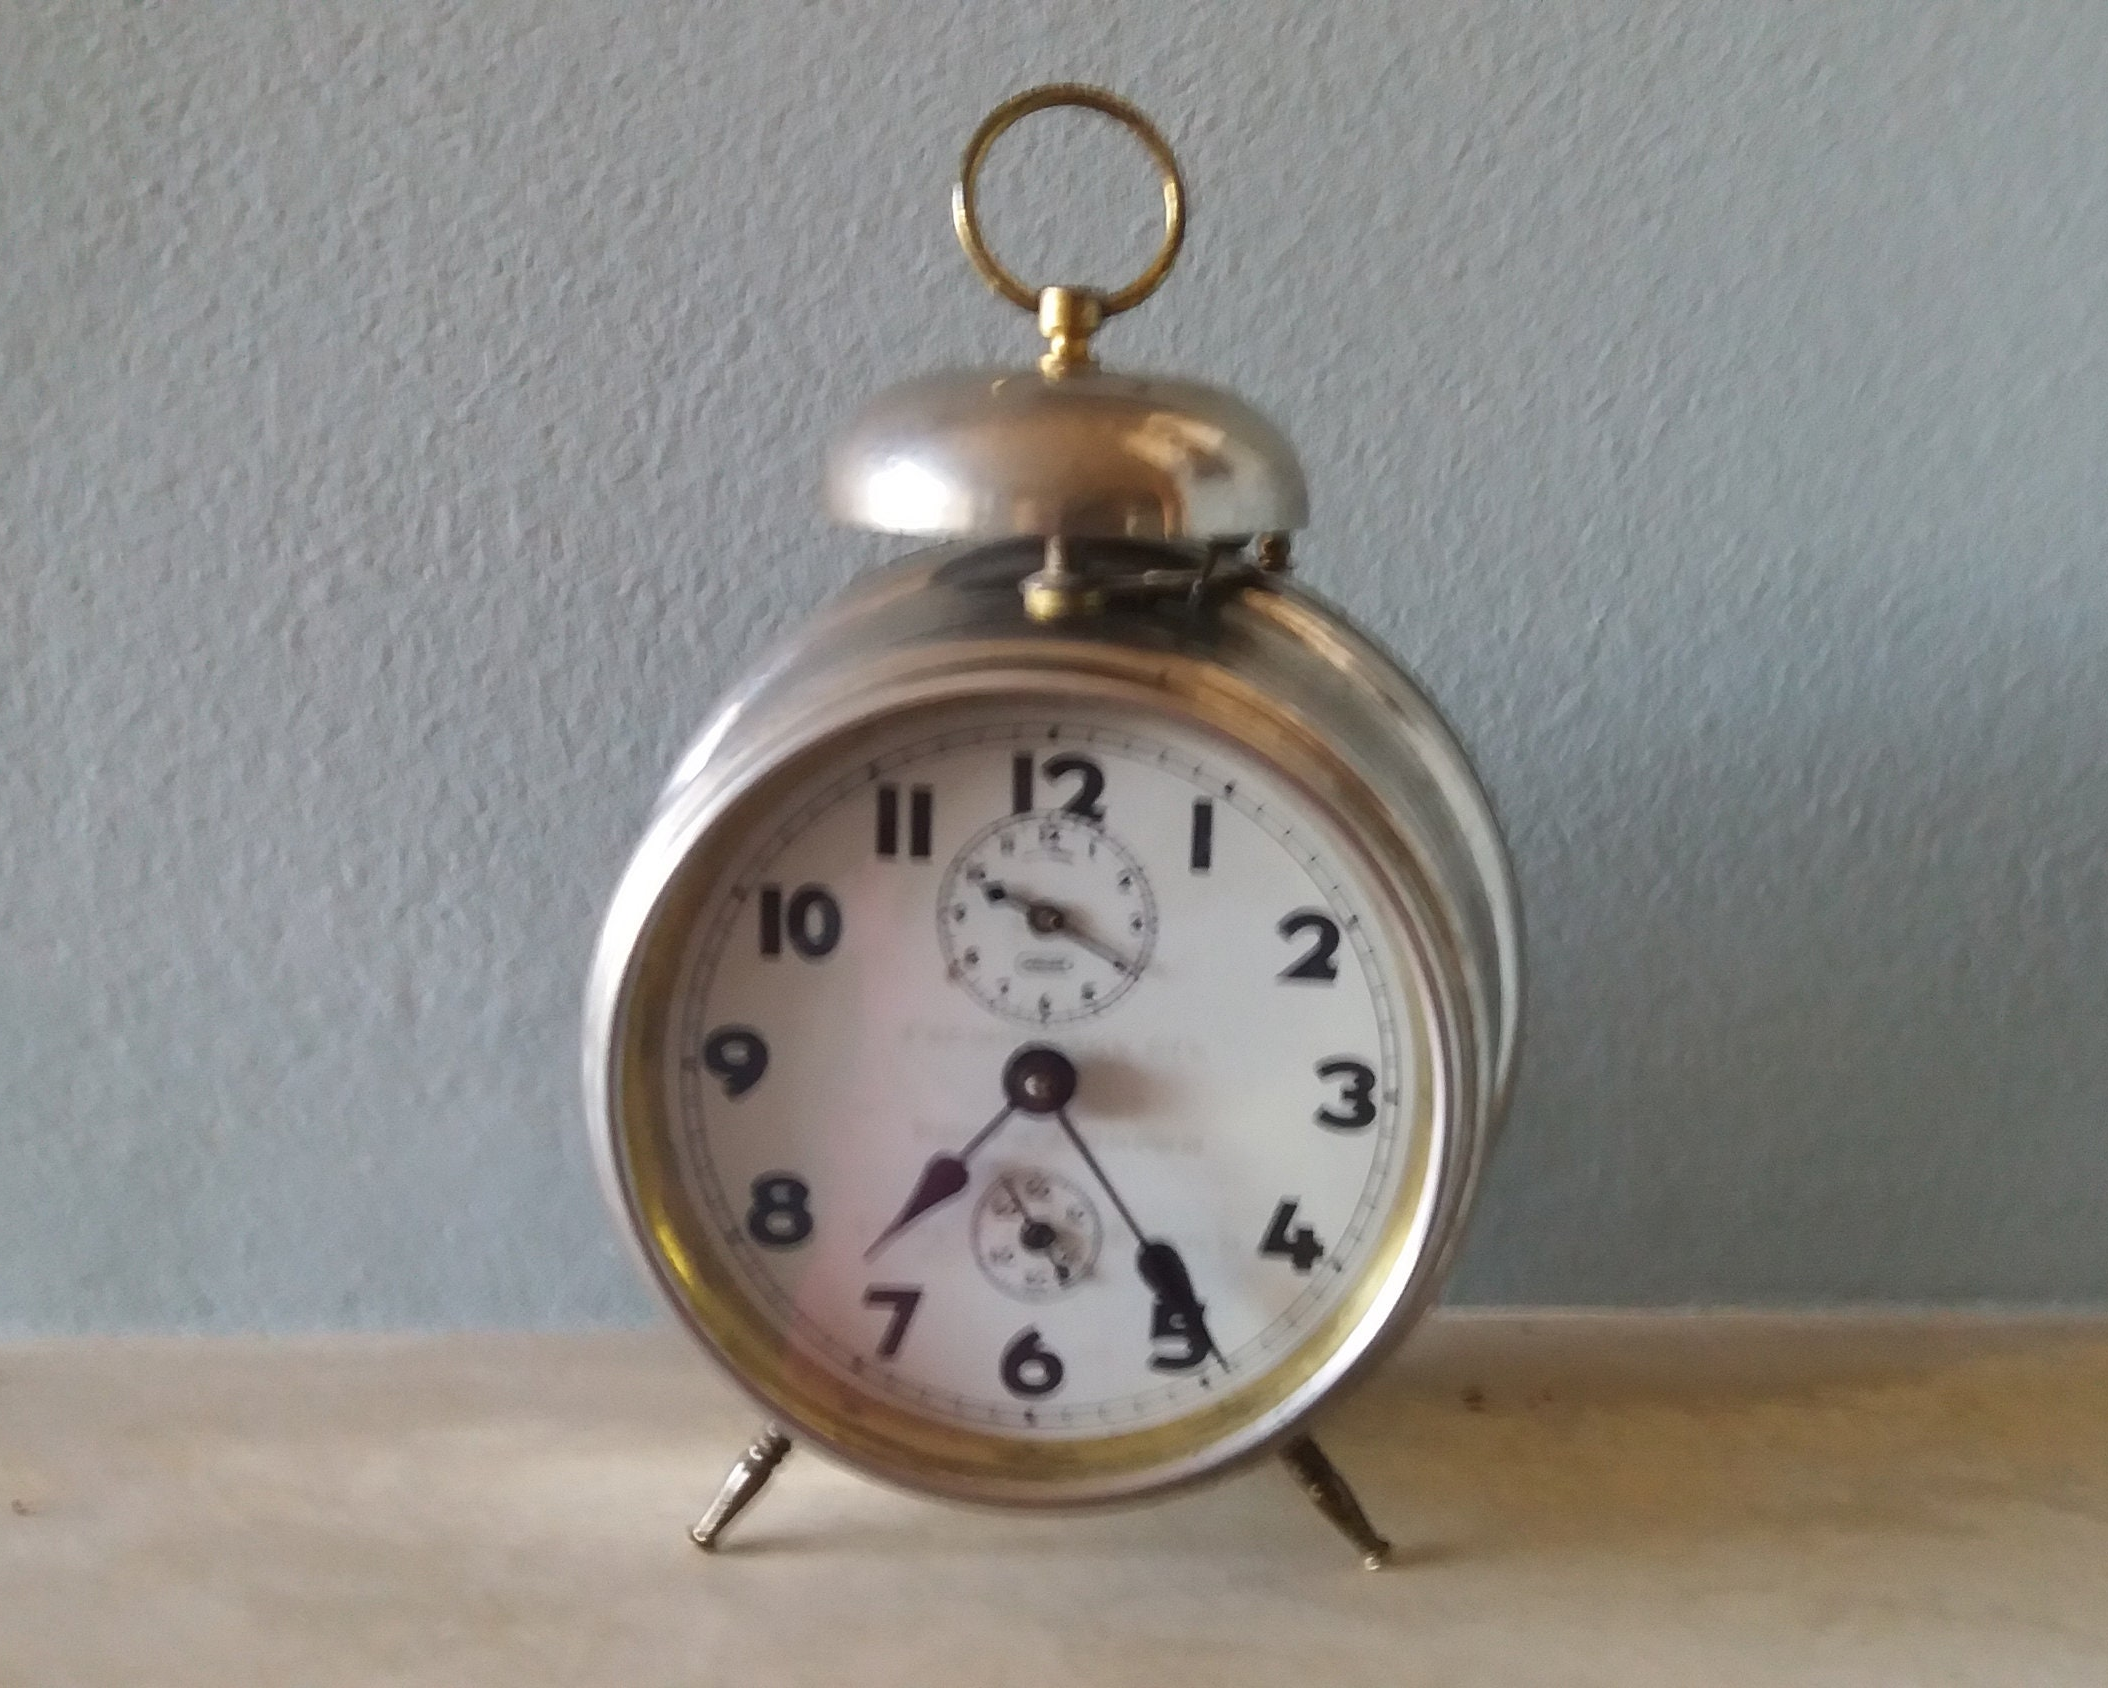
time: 7:24
